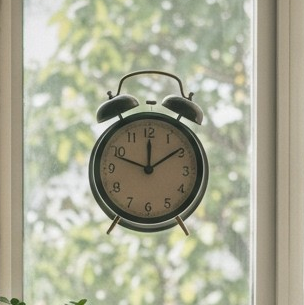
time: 12:09
